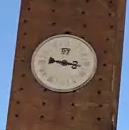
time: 9:16
